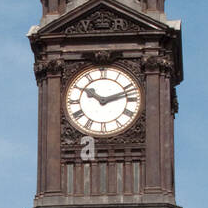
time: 10:12
